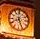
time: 8:26
